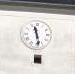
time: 11:28
